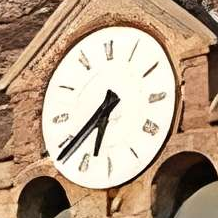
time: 6:38
